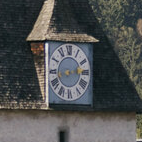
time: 2:42
